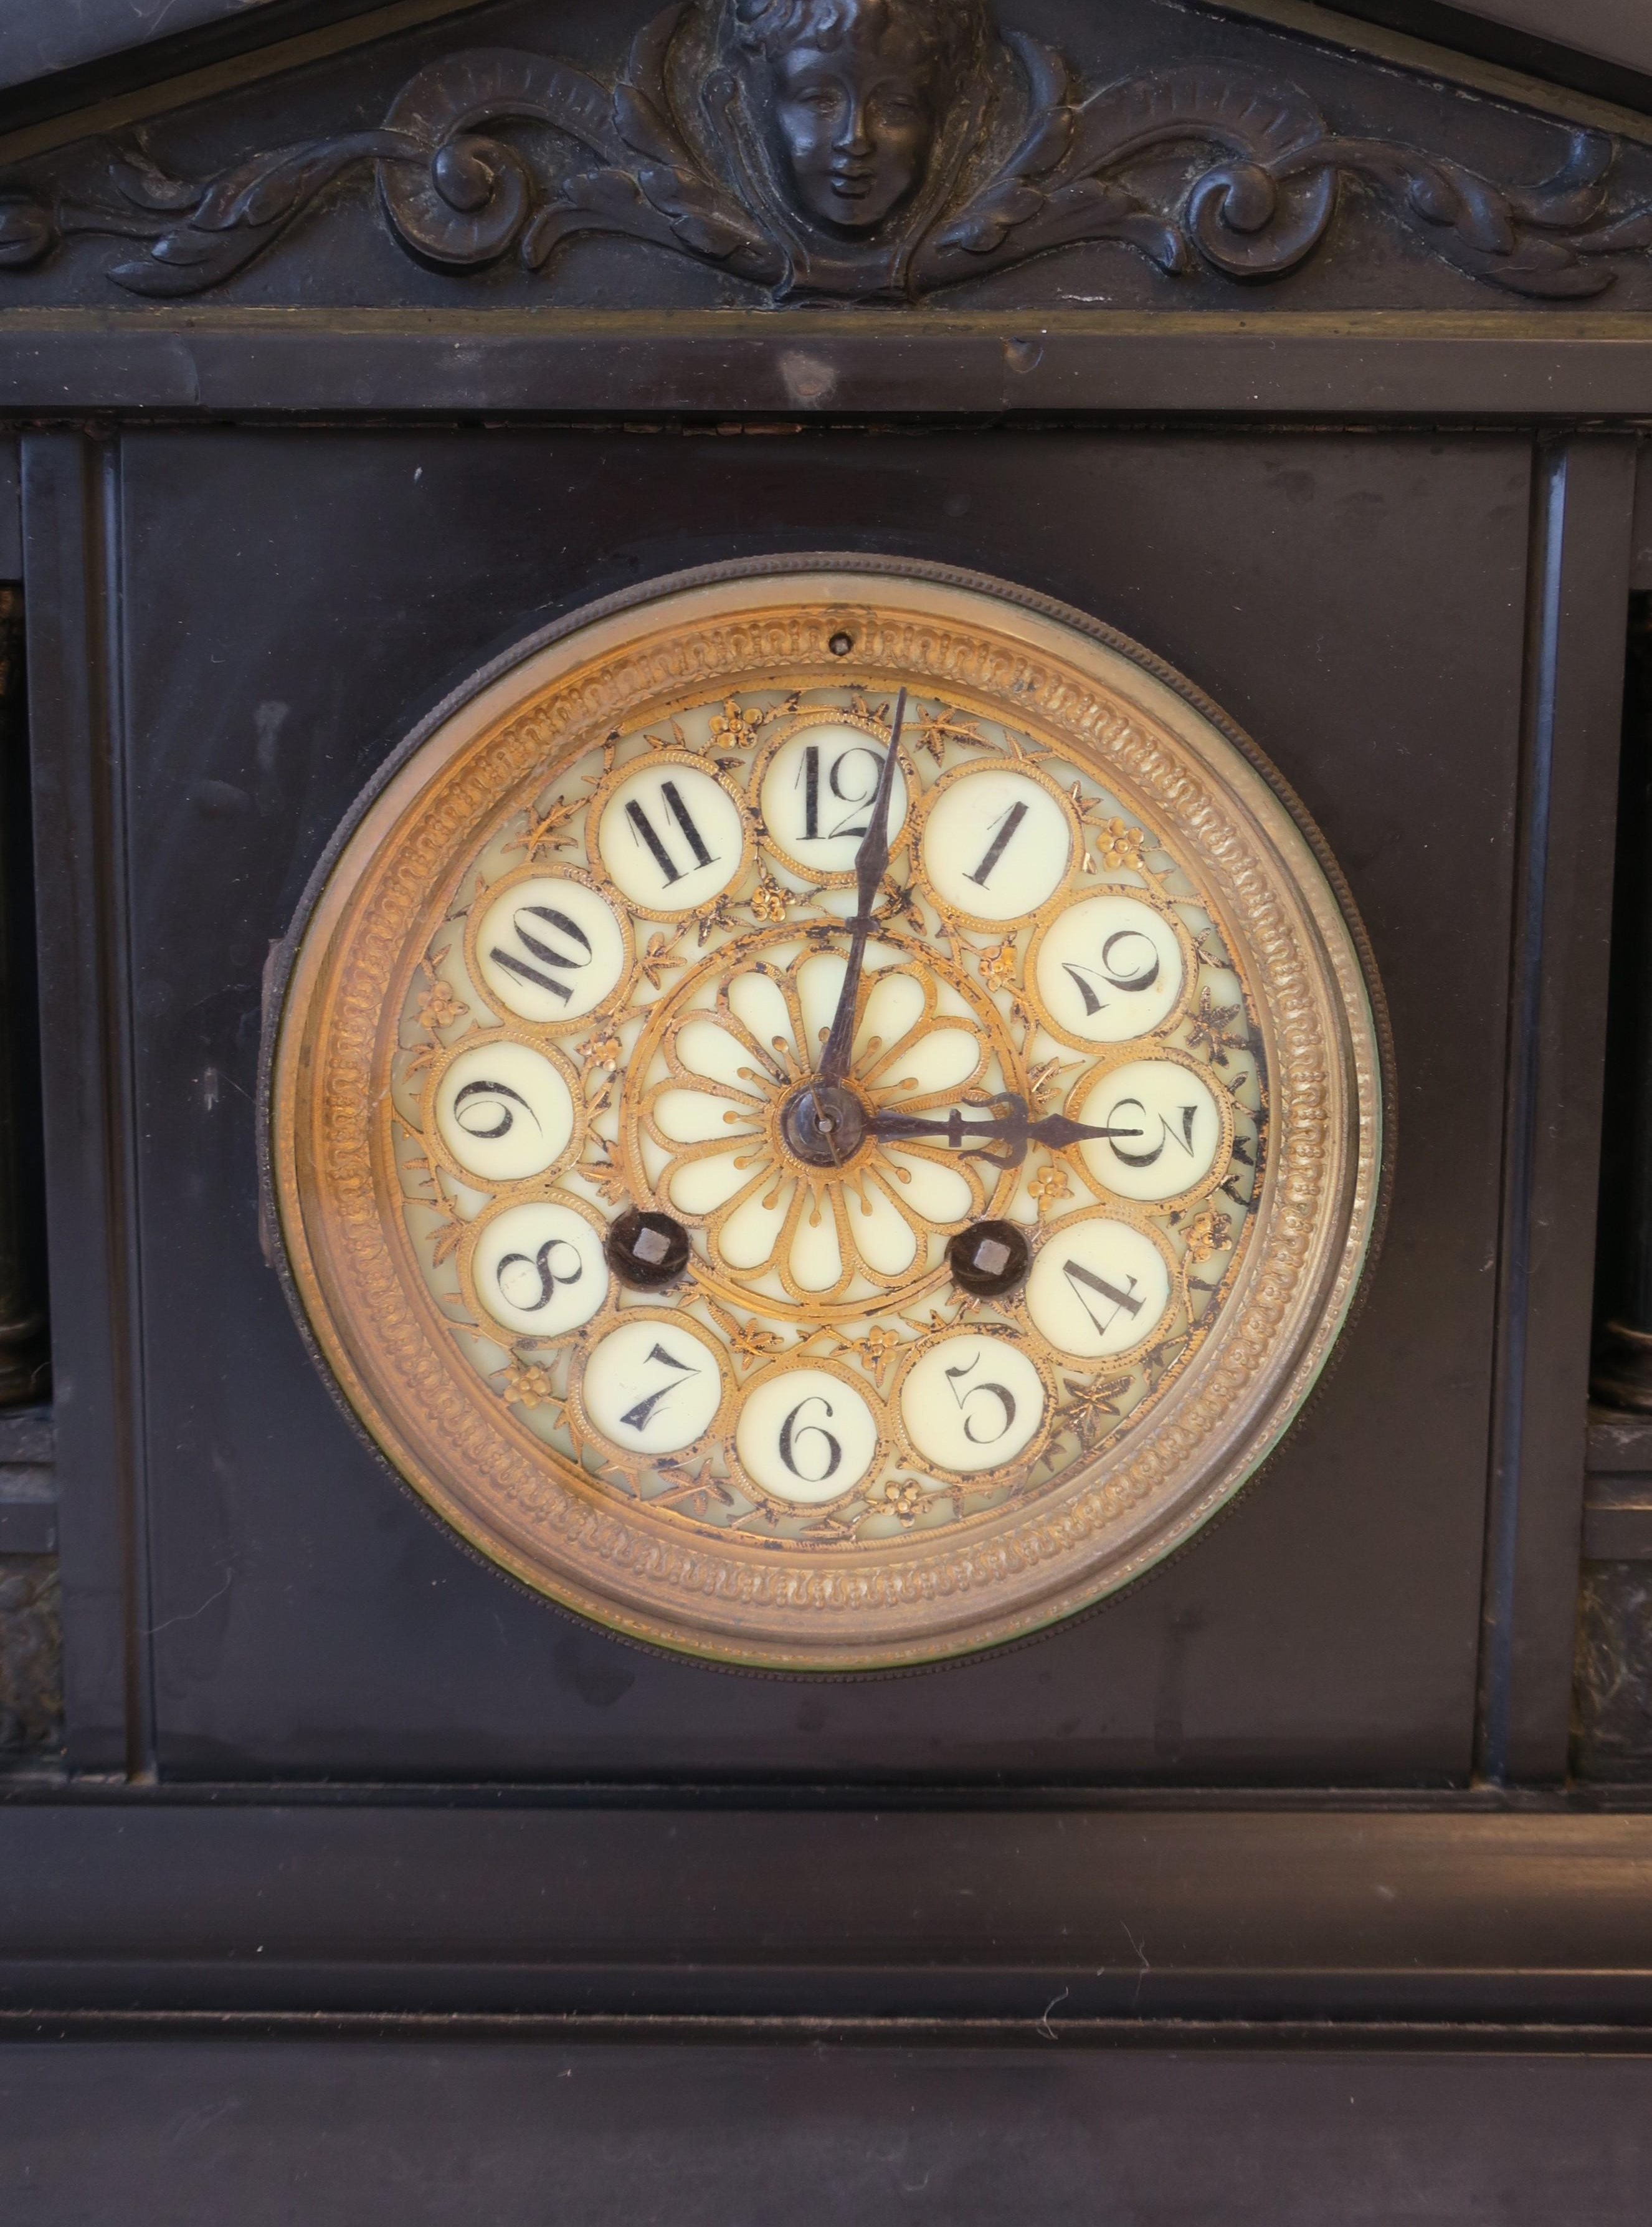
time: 3:01
